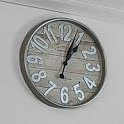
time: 1:03
